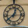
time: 12:38
